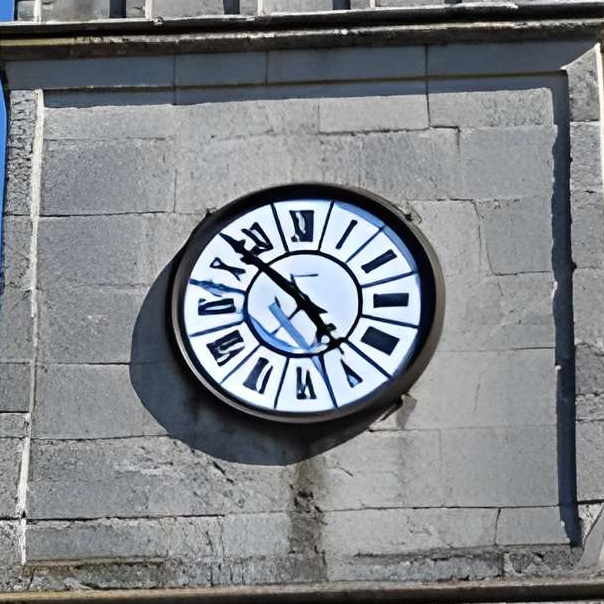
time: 4:52
